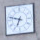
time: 6:47
